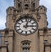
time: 3:02
